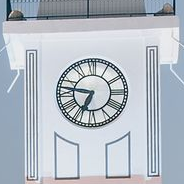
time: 6:46
